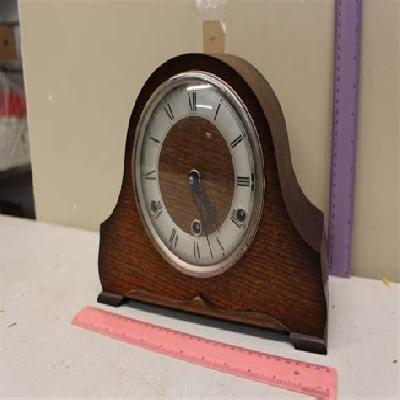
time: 5:15
